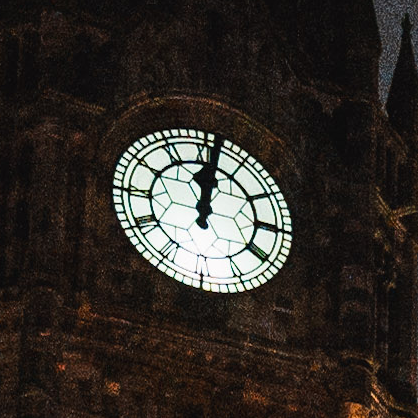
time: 12:01
